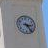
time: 3:23
